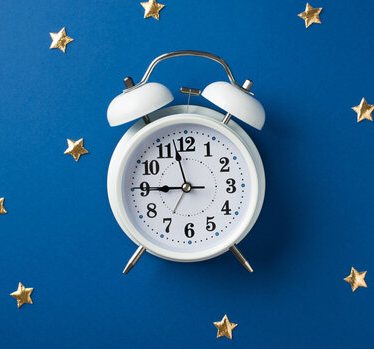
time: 8:57
